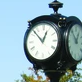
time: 12:52
